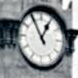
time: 12:55
